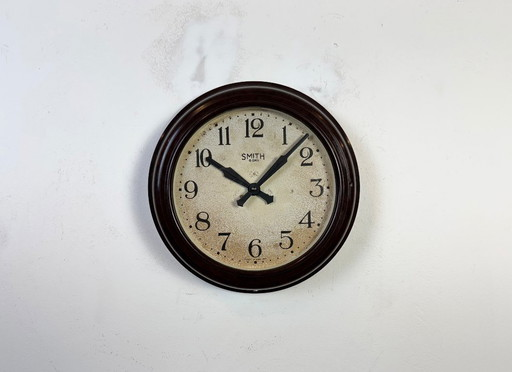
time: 10:07
